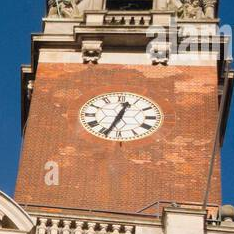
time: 12:33
